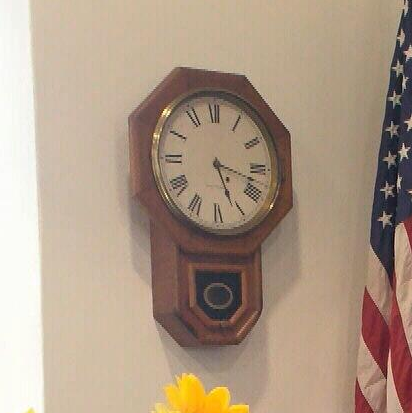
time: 5:17
